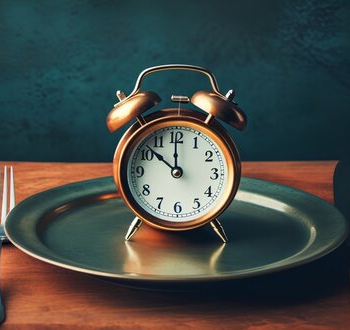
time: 11:51
